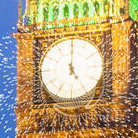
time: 5:00
